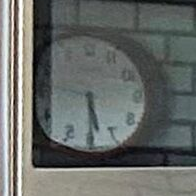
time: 5:29
